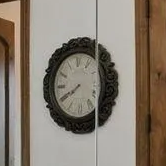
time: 7:40
